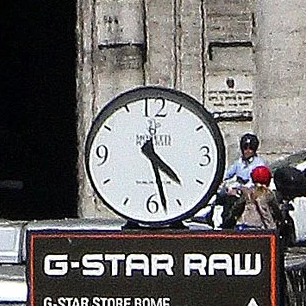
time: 4:27
